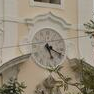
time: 5:18
